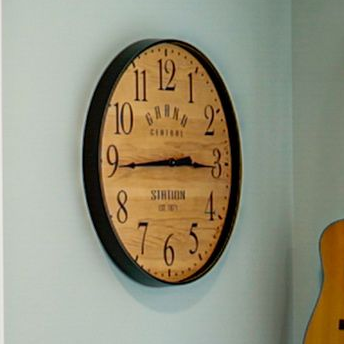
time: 2:44
